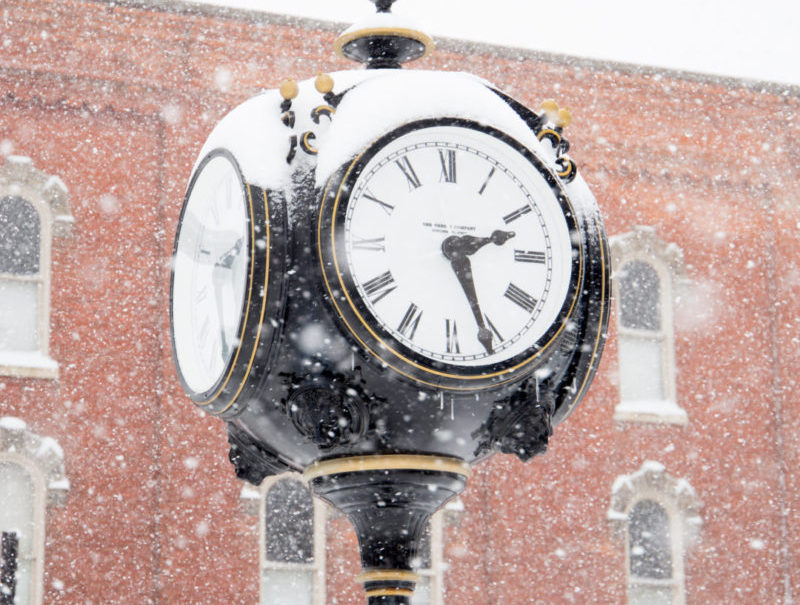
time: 2:25
